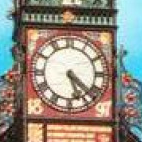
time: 5:22
